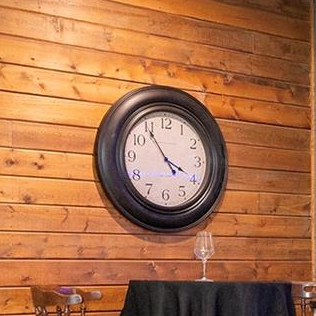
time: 3:54
